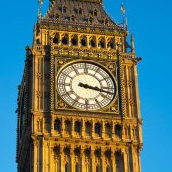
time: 3:17
